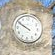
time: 9:50
